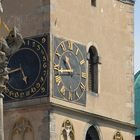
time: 10:43
